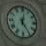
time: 12:24
